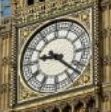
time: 9:22
